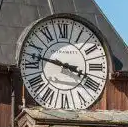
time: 3:47
